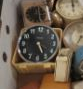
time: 5:18
